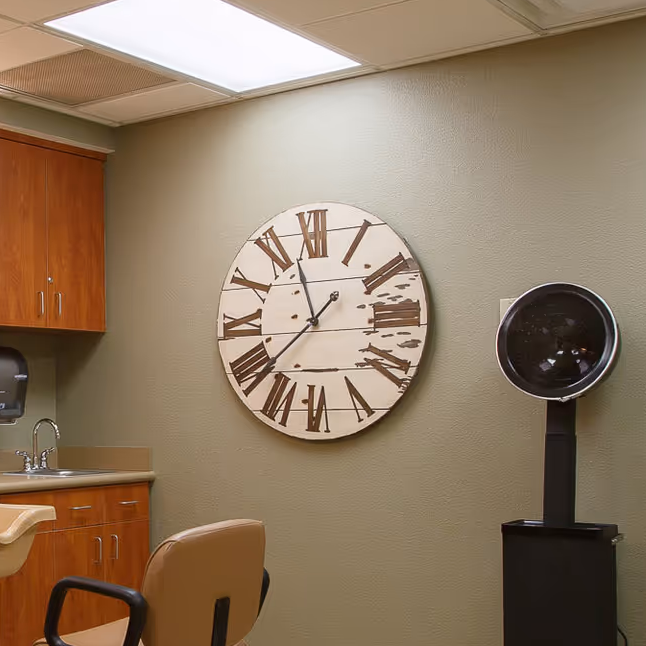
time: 11:37
